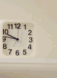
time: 9:46
